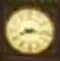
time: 8:16
